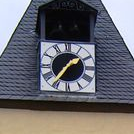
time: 1:36
